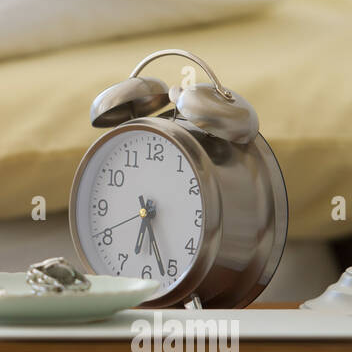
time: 6:26
